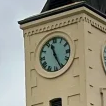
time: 11:26
